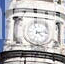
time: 4:12
